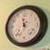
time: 11:36
